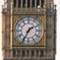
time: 1:34
